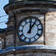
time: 12:05
